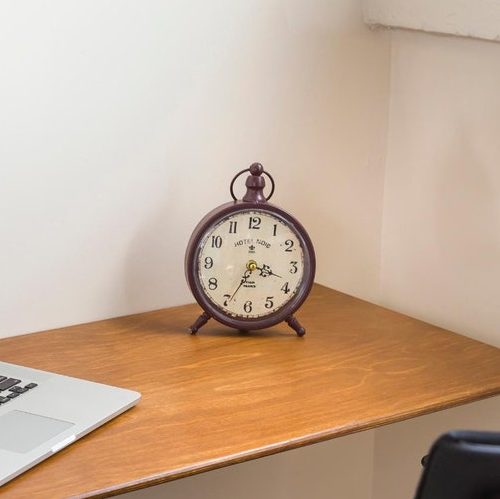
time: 3:34
